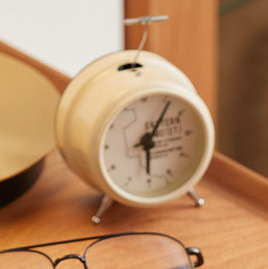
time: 6:06
